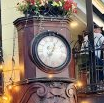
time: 7:04
